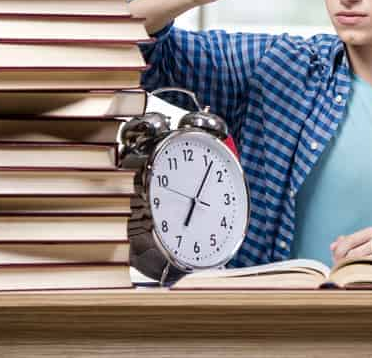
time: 7:06
